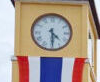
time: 4:29
